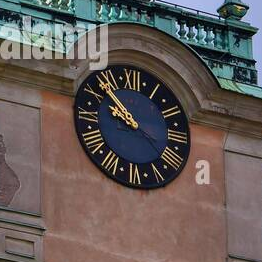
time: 9:53
